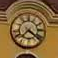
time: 7:21
